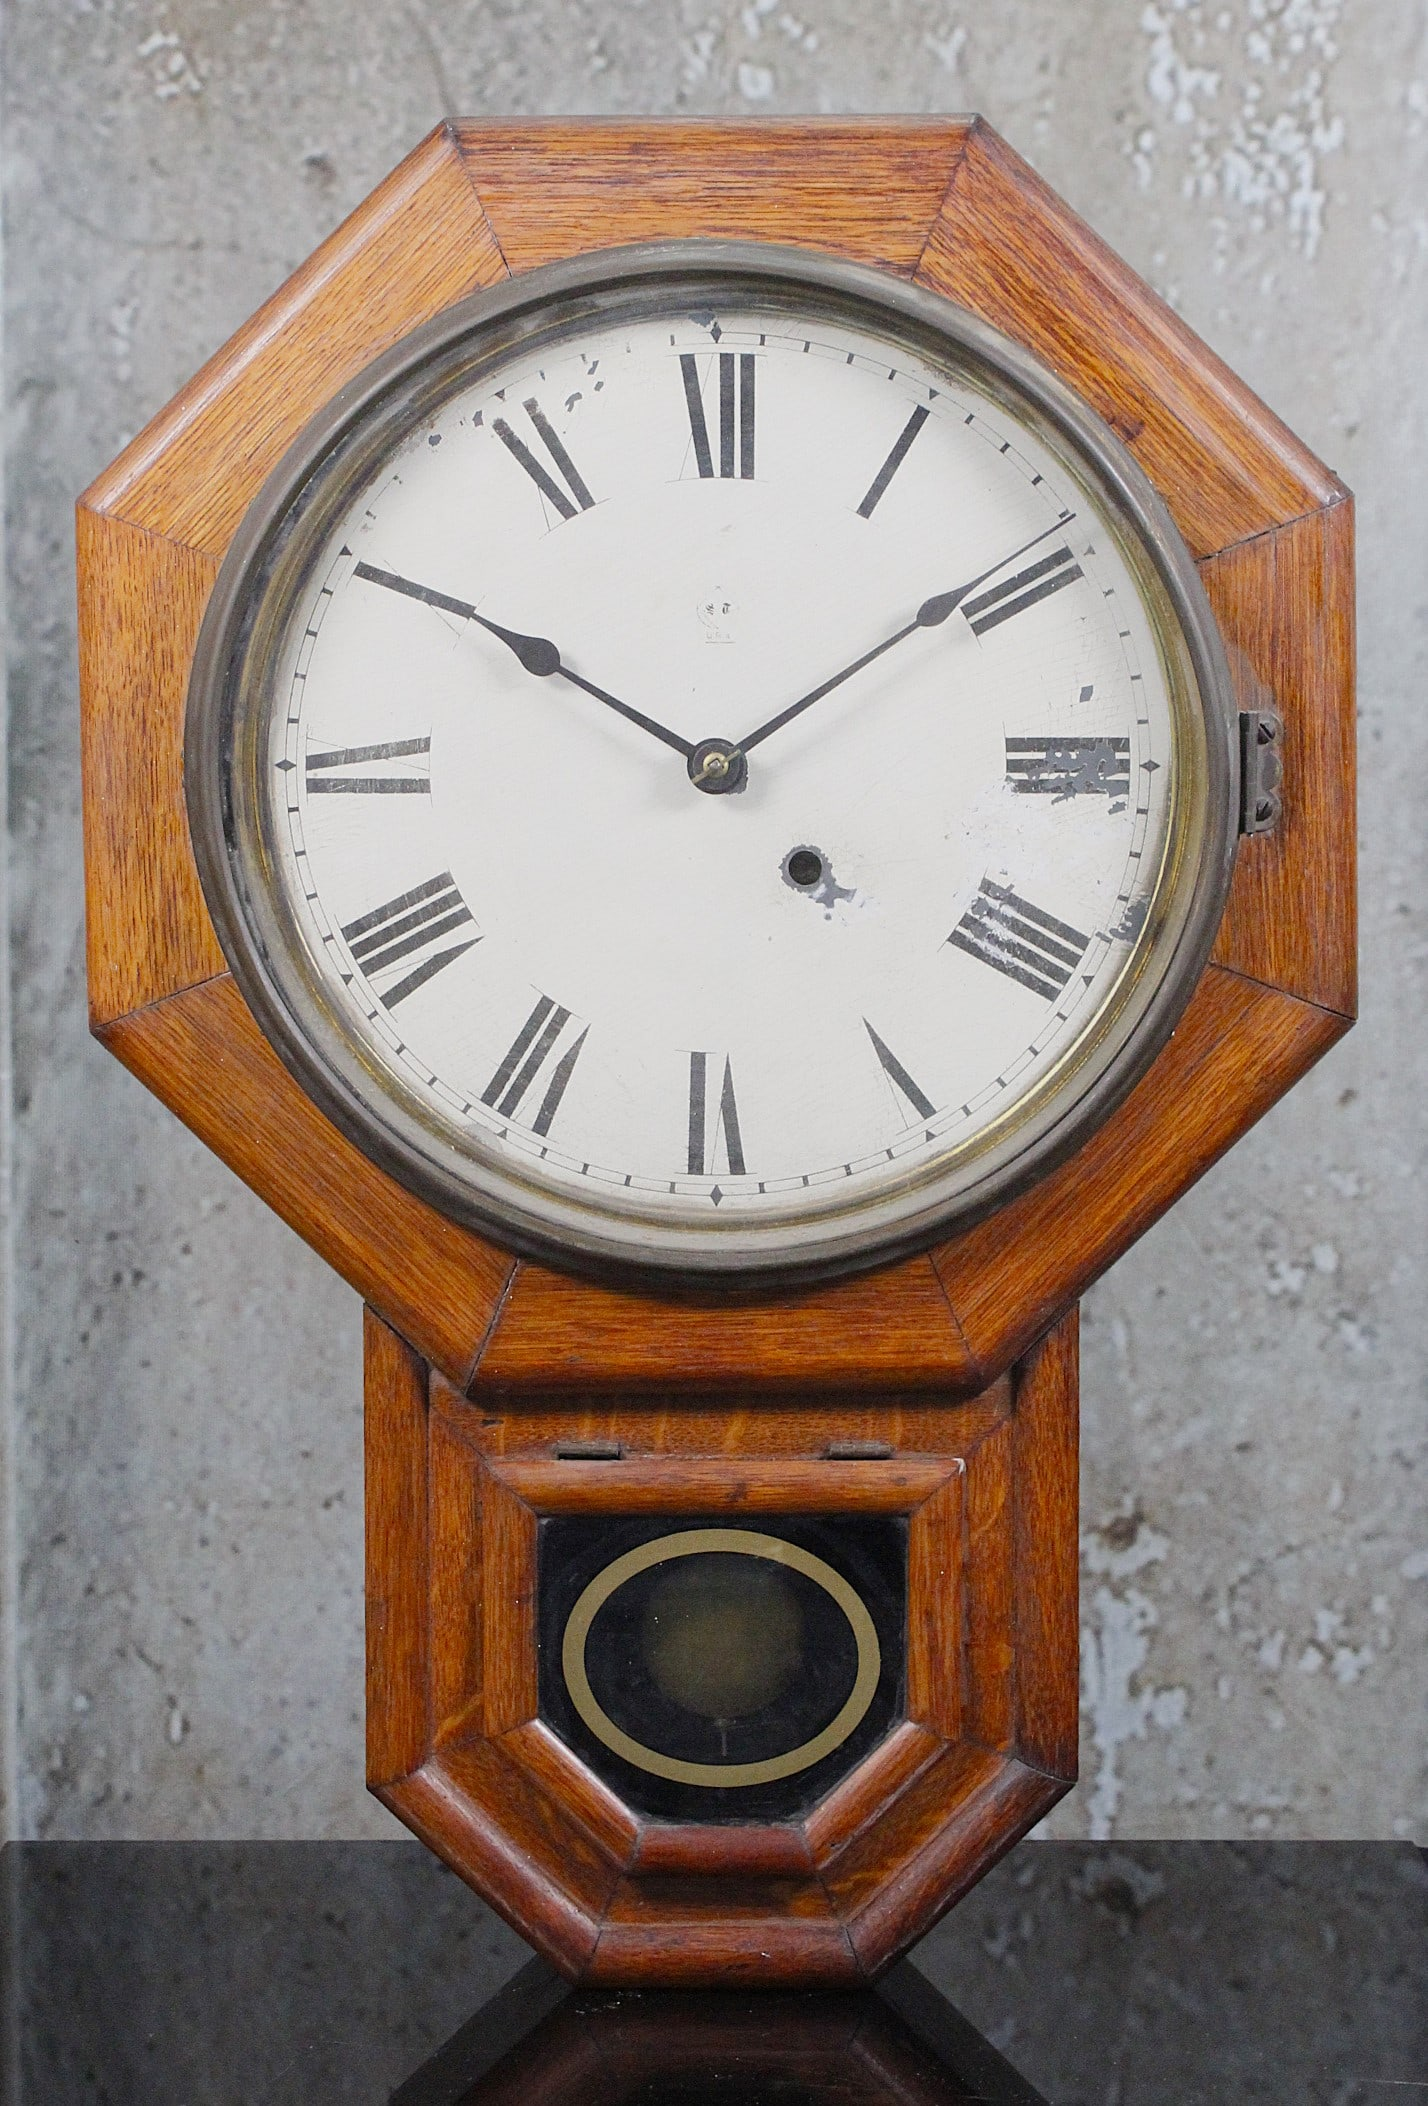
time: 1:50
